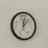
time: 12:06
